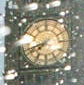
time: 7:41
